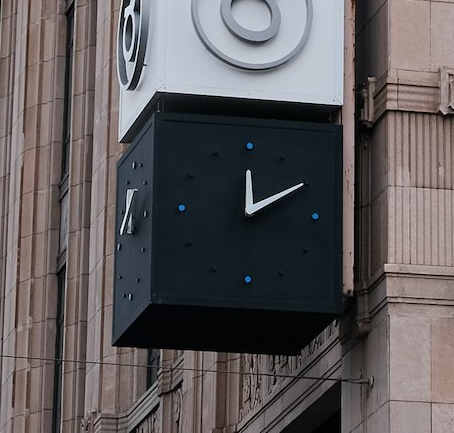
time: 12:10
